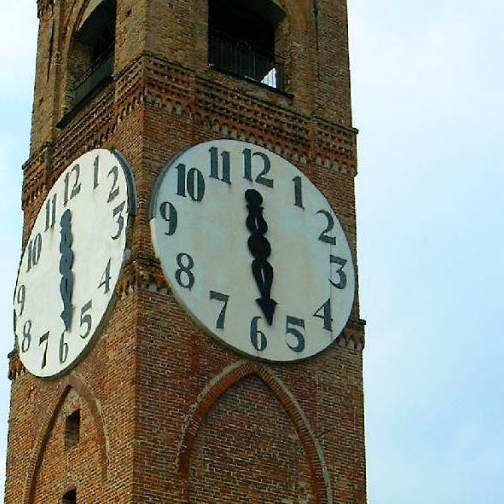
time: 11:28
